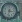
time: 3:32
